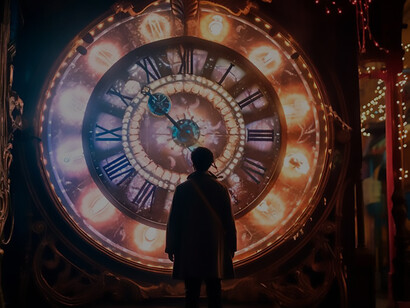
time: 4:52
